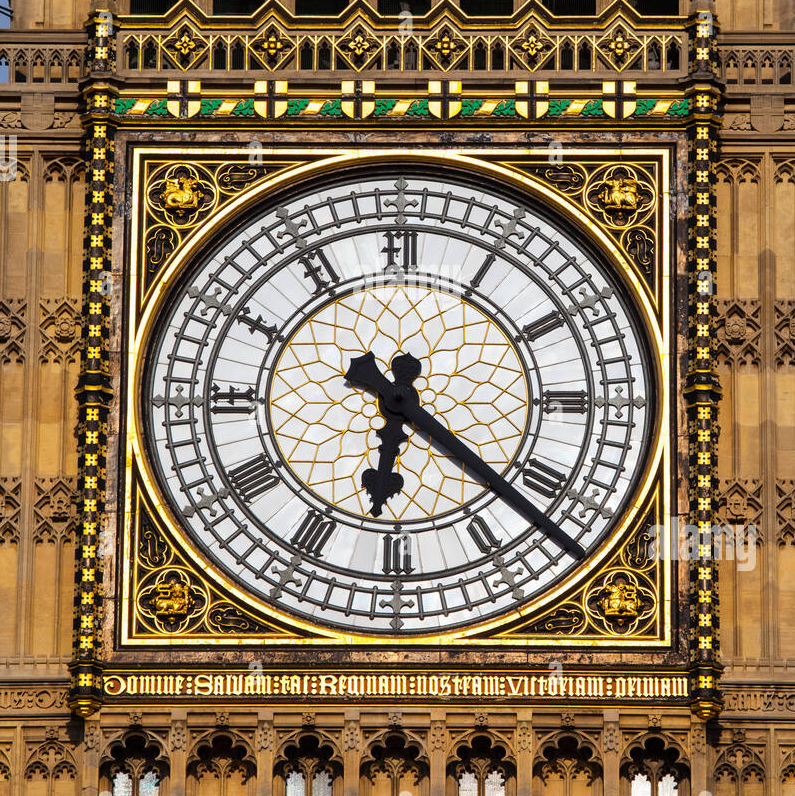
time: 6:21
